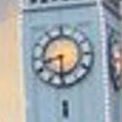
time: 8:30
